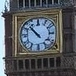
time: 10:53
